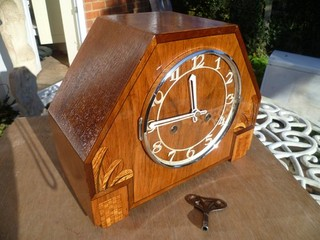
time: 11:45
